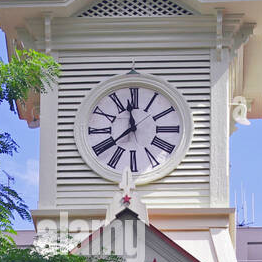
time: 11:38
